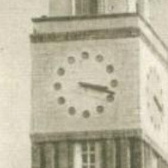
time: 3:18
